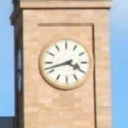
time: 3:42
